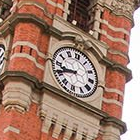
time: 8:41
